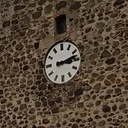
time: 3:12
